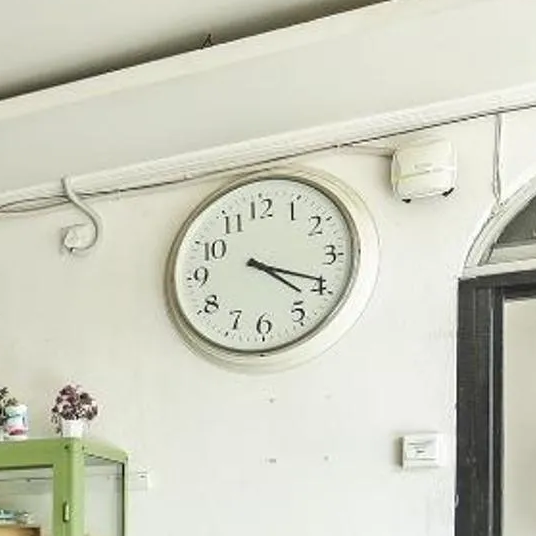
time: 4:18
